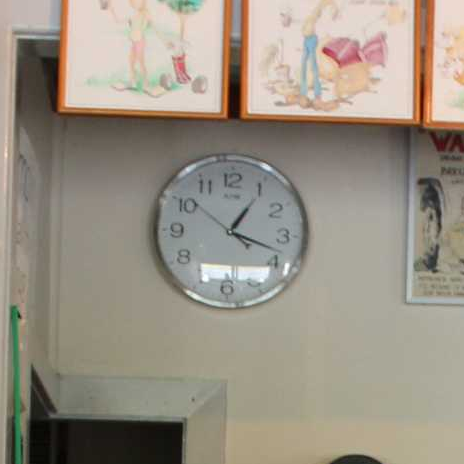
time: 1:18
